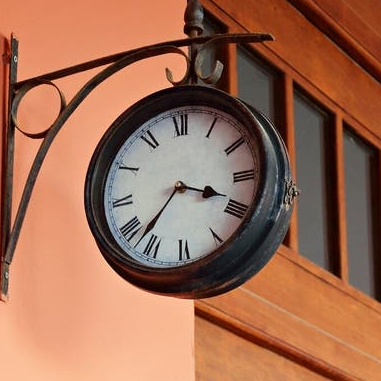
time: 3:37
